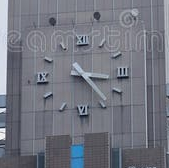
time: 3:22
